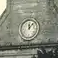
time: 12:07
